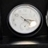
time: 4:16
